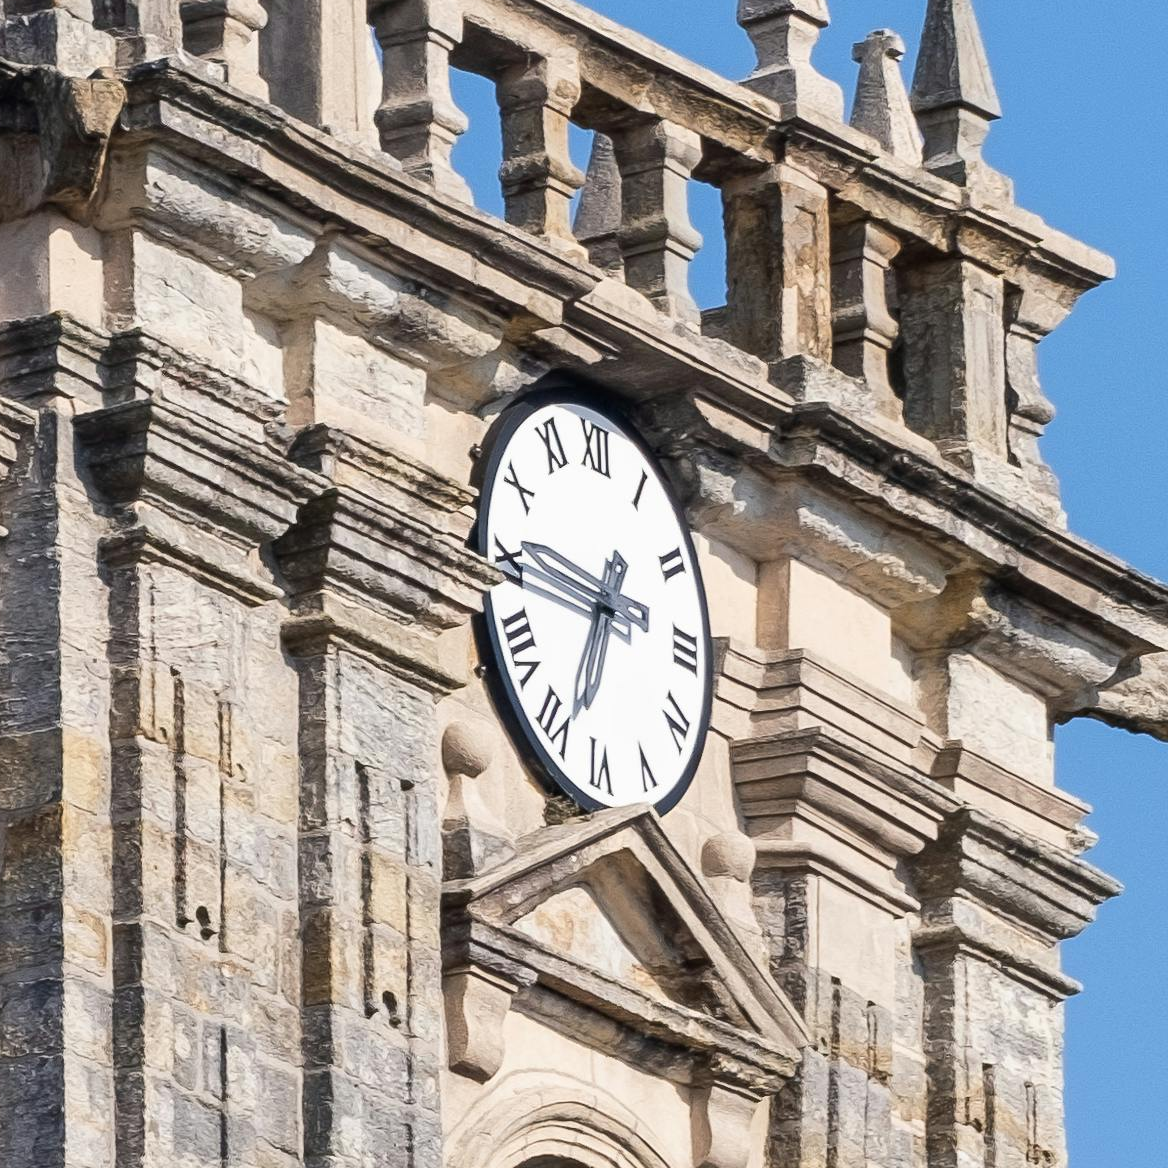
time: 6:46
